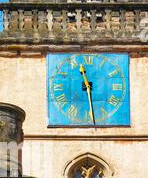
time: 11:28
